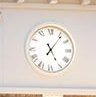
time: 5:06
